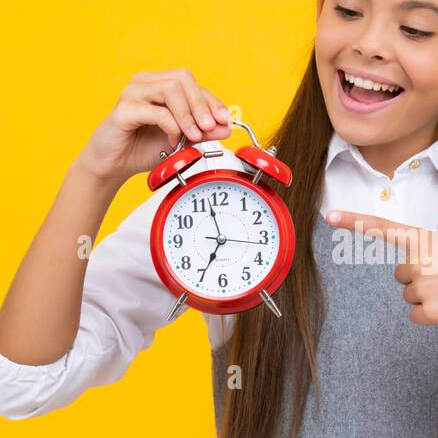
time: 6:57
